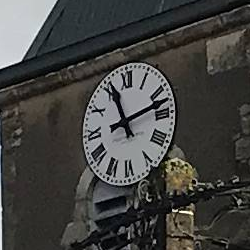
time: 11:12
